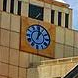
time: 1:02
